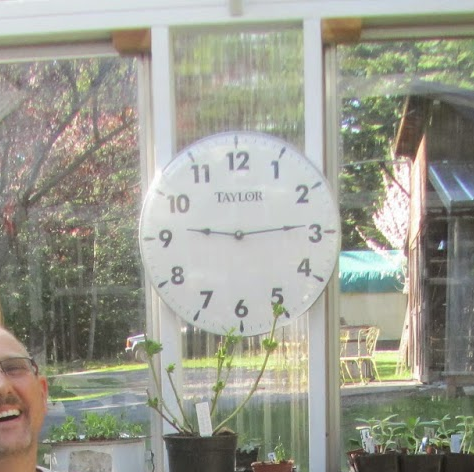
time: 9:14
